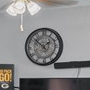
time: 1:52
